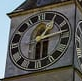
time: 1:13
